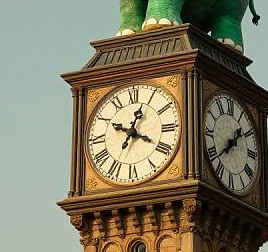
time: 12:49
